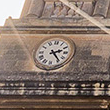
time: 2:23
